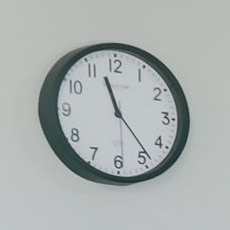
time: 11:23
